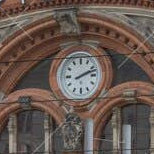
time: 2:11
